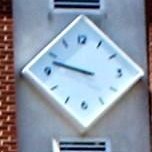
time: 9:47
